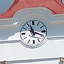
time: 11:18
